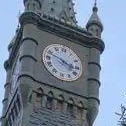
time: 3:48
